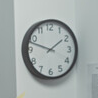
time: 1:47
